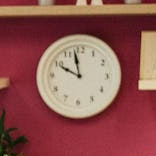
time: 9:57
